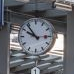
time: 9:53
